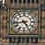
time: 4:42
